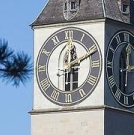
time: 12:11
